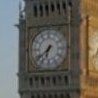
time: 6:38
